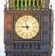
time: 8:57
